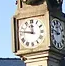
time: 11:46
